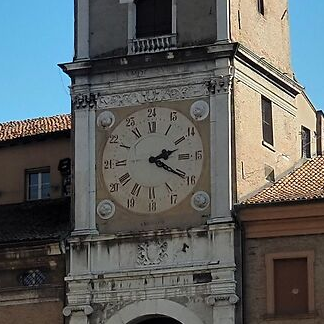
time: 2:20
